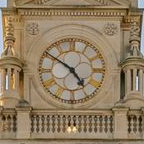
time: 4:50
